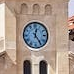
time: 12:24
